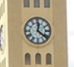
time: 12:21
